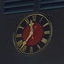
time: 11:36
